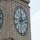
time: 12:12
